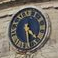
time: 4:28
